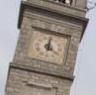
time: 4:01
